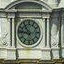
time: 10:45
